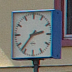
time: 2:36
